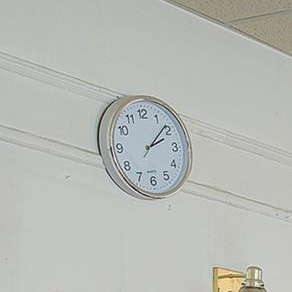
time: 2:08
